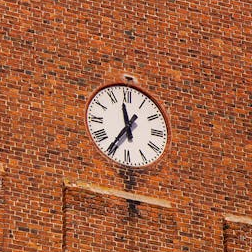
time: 11:35
